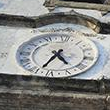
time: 4:34
